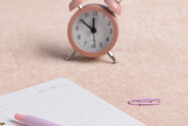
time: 11:51
